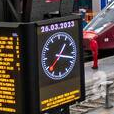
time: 1:17
